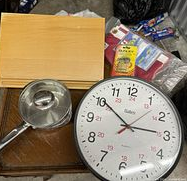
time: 2:50
